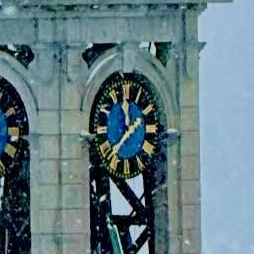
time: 11:38
